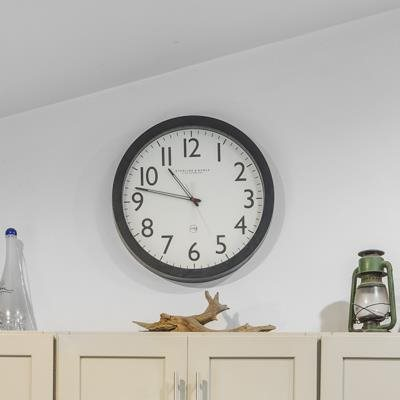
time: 10:47
